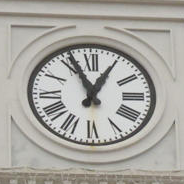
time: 12:55
